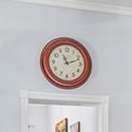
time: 11:11
